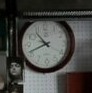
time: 10:41
